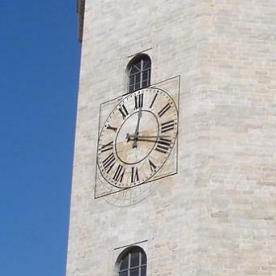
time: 12:18
